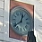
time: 12:38
